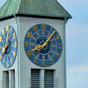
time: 8:07
